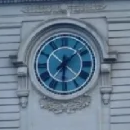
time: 6:08
